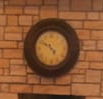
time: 4:49
